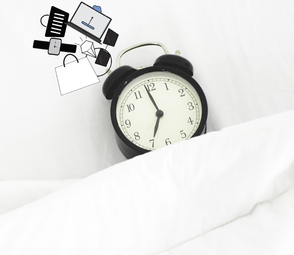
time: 6:58
